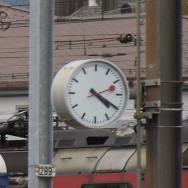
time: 4:20
